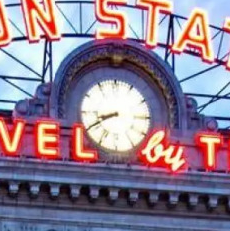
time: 8:40
